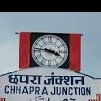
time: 3:46
